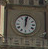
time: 12:01
